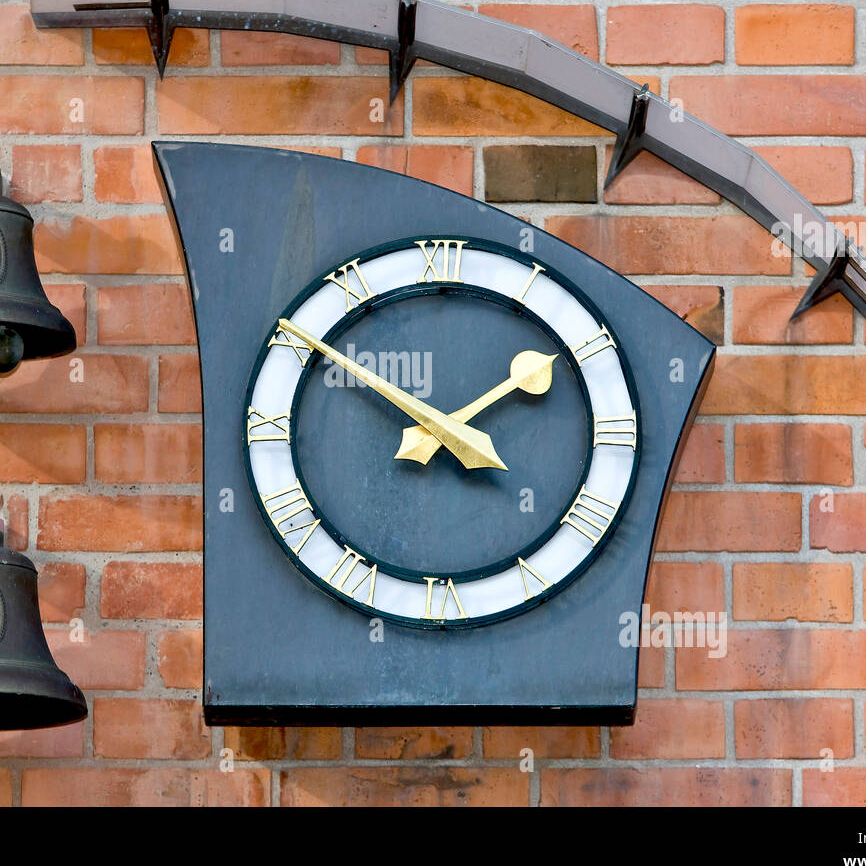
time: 1:50
